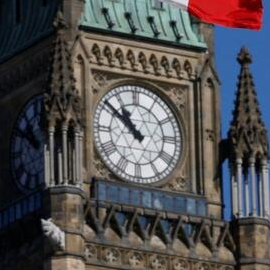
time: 10:51
